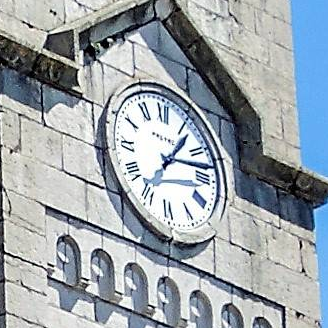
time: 7:06
